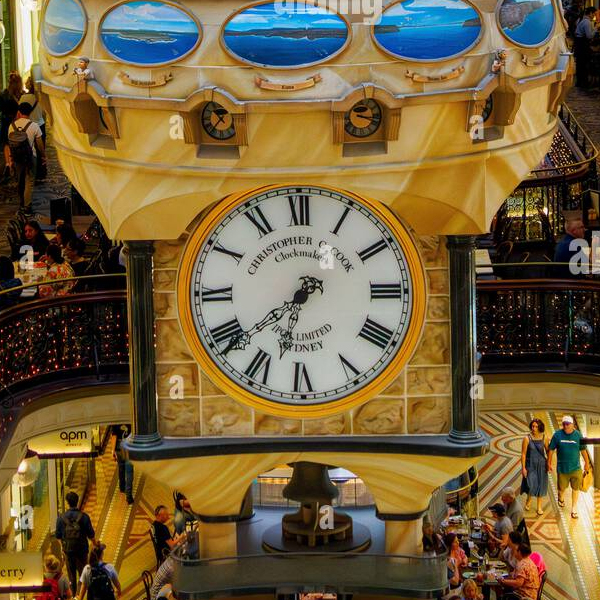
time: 6:38
